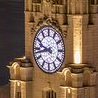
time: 9:43
